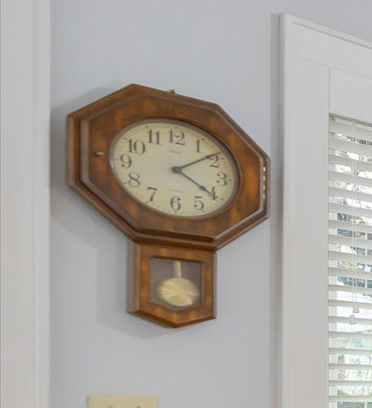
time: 4:09
